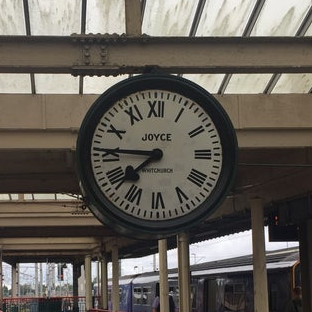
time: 7:45
